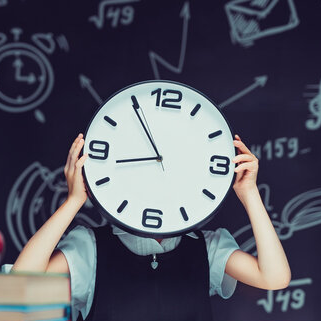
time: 8:54
